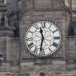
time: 11:32
